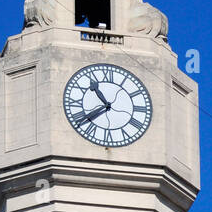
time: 10:38
